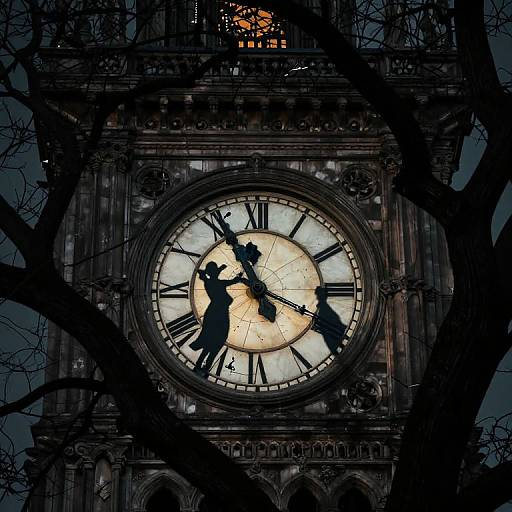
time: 11:18
